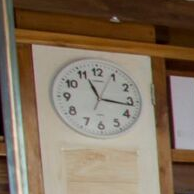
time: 11:16
